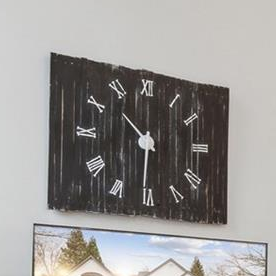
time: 10:31
